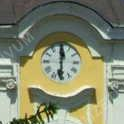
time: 12:30
